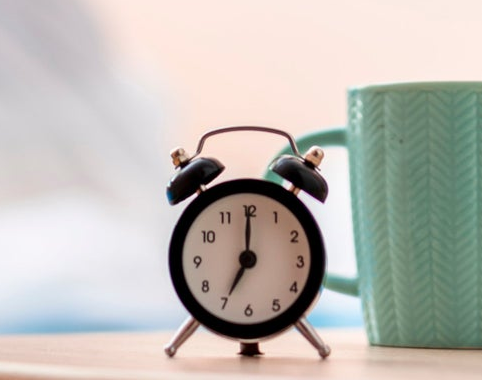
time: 7:00
